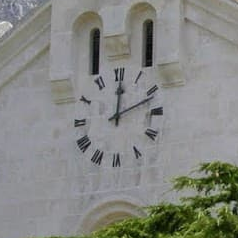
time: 12:11
